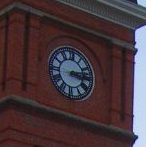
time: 3:12
